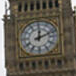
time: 12:11
